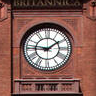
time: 1:46
